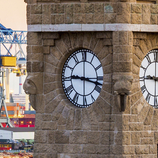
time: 9:17
